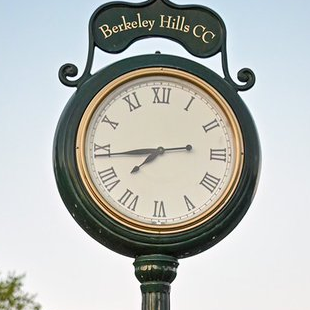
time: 7:43
